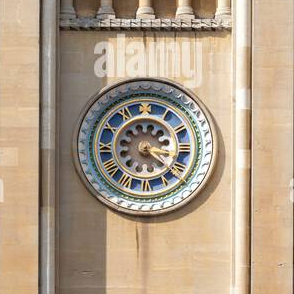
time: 3:21
